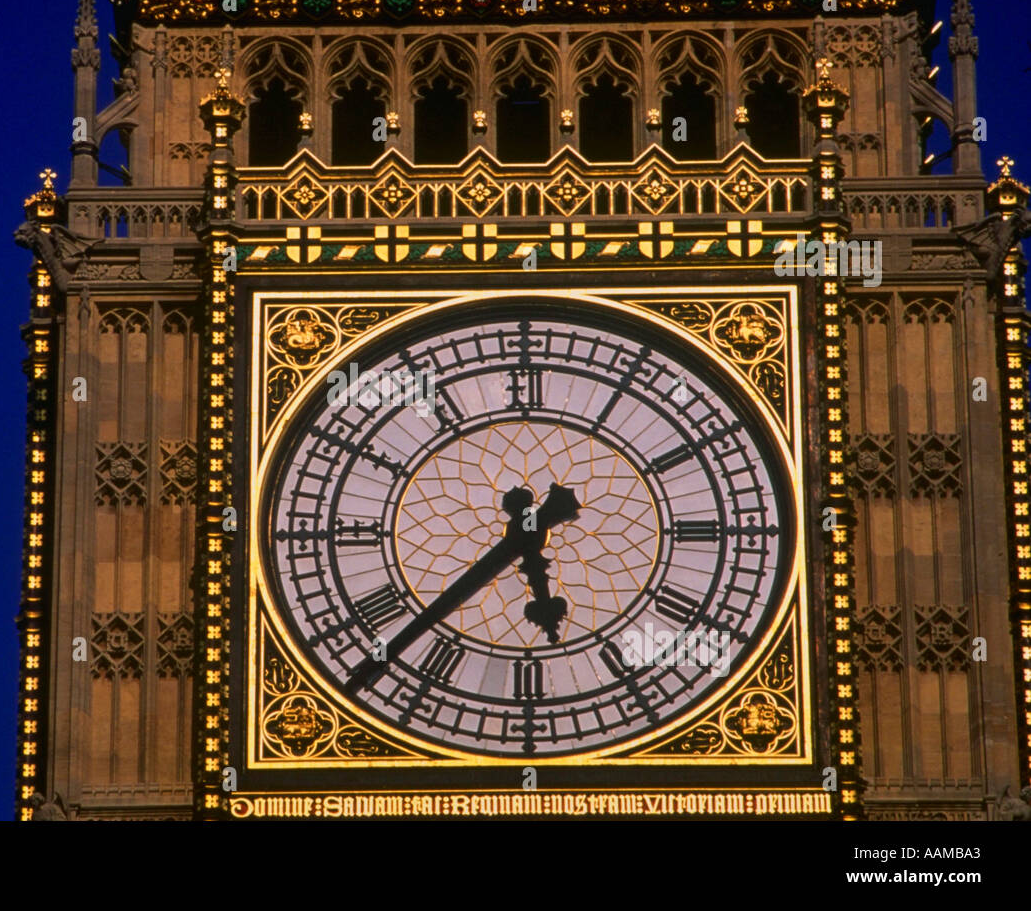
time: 5:37
